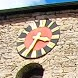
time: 3:34
